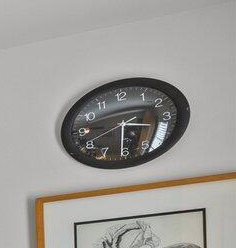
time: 3:30
